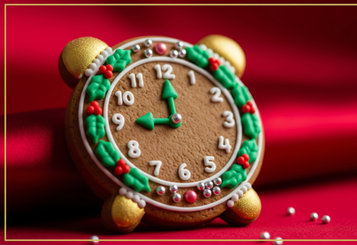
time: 9:00
